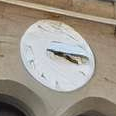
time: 3:13
